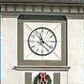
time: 11:21
